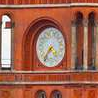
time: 4:35
